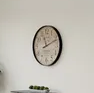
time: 11:11
